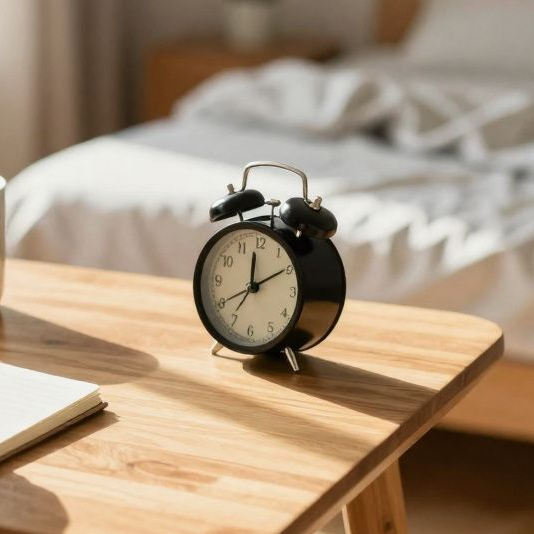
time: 12:09
